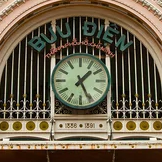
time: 1:26
